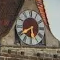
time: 5:40
